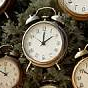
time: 12:09
